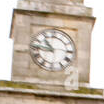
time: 10:45
